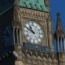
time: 10:49
